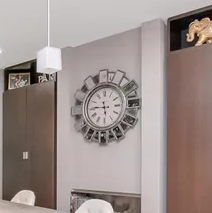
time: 5:44
